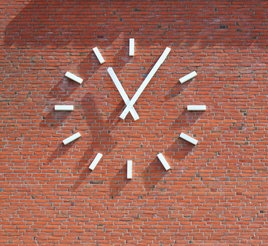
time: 11:05
